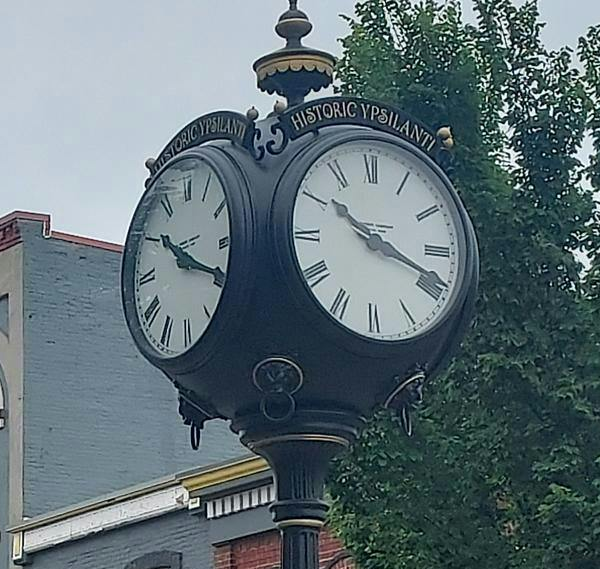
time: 10:18
